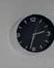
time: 2:33
